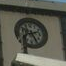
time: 2:24
